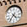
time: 4:35
